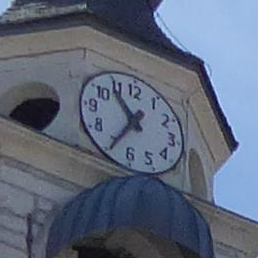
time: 10:34
